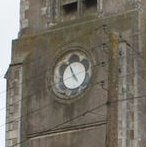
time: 4:56
